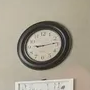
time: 9:13
